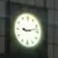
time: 9:12
